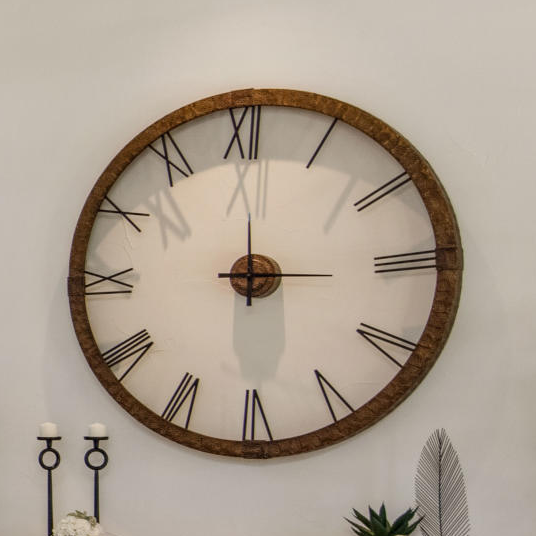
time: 3:00
